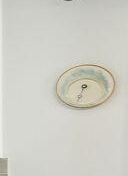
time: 6:32
